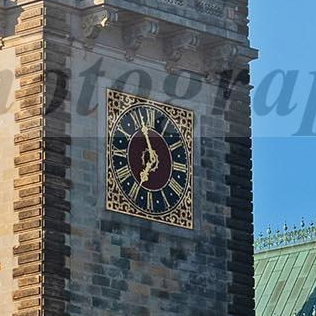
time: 6:56
